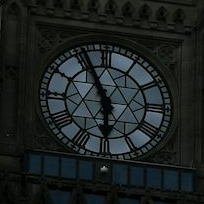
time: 5:55
